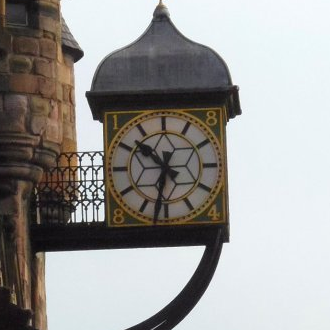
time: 10:32
